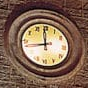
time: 11:42
